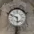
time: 5:48
